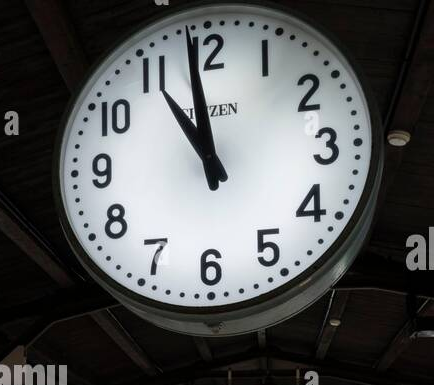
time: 10:58
